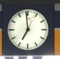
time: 6:58
